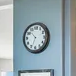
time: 10:33
